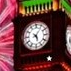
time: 5:05
